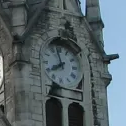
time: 7:57
